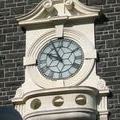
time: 9:55
